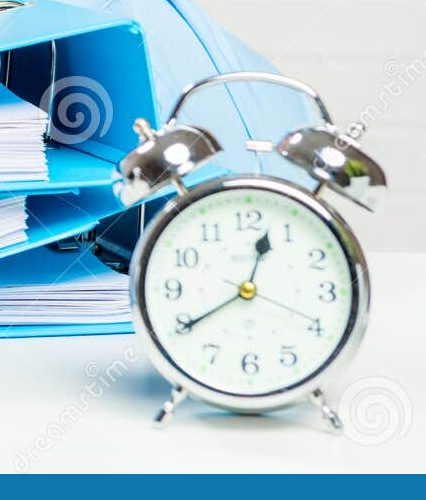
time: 12:39
